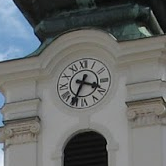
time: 3:34
